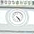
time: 4:23
